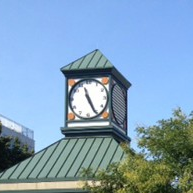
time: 11:25
